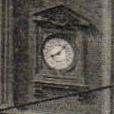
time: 8:07
